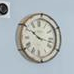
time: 10:17
